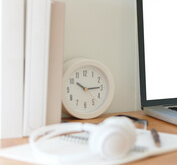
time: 10:14
